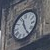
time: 11:24
